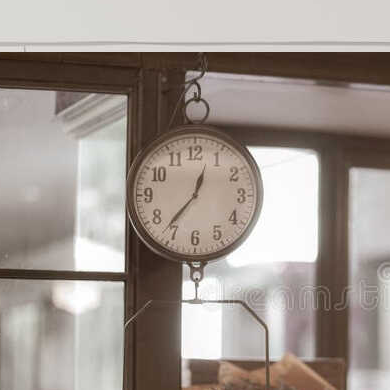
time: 12:36
